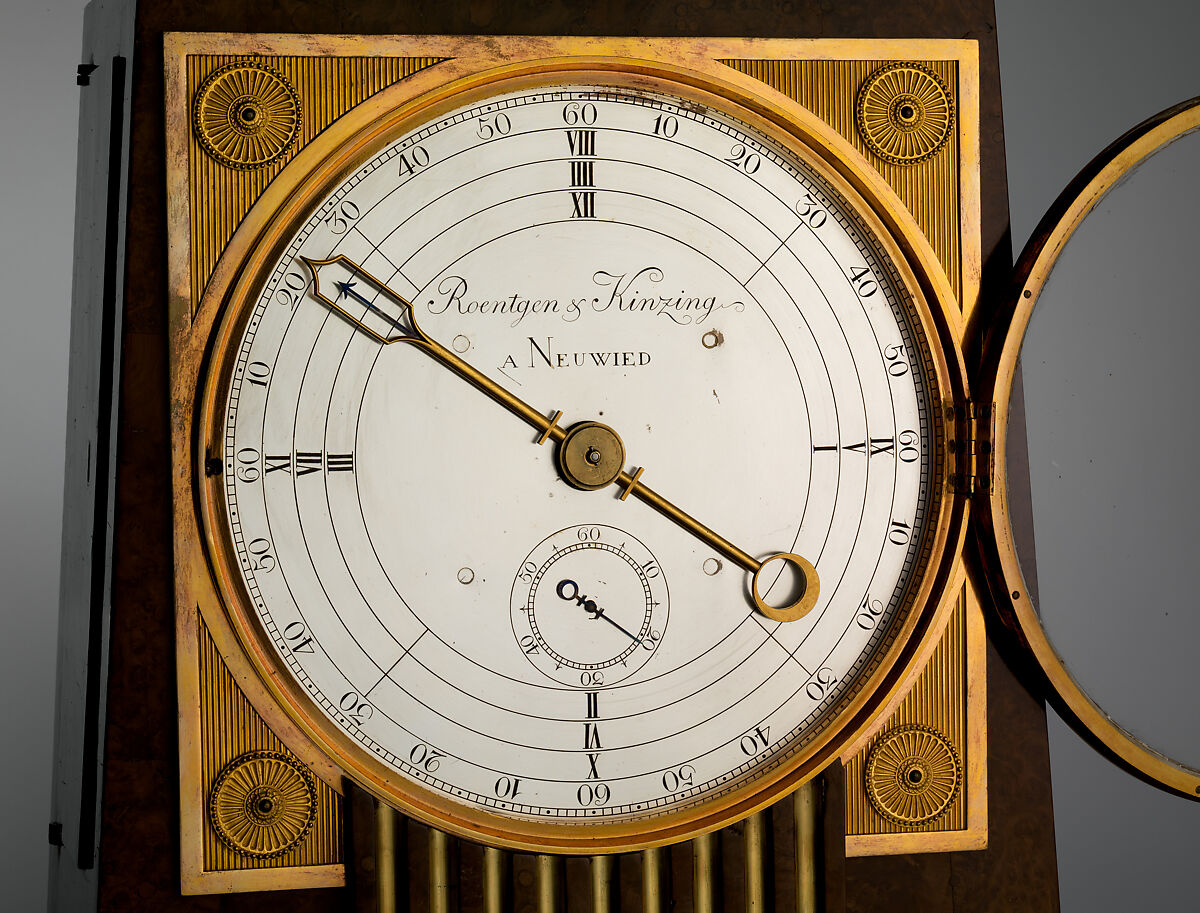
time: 3:50
